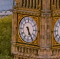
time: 5:24
